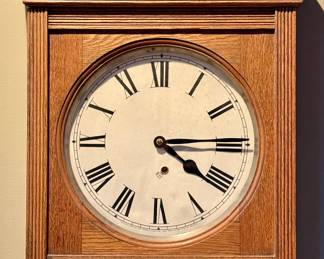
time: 4:14
